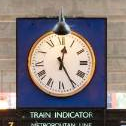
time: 12:25
